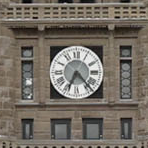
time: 4:34
